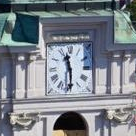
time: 11:29
